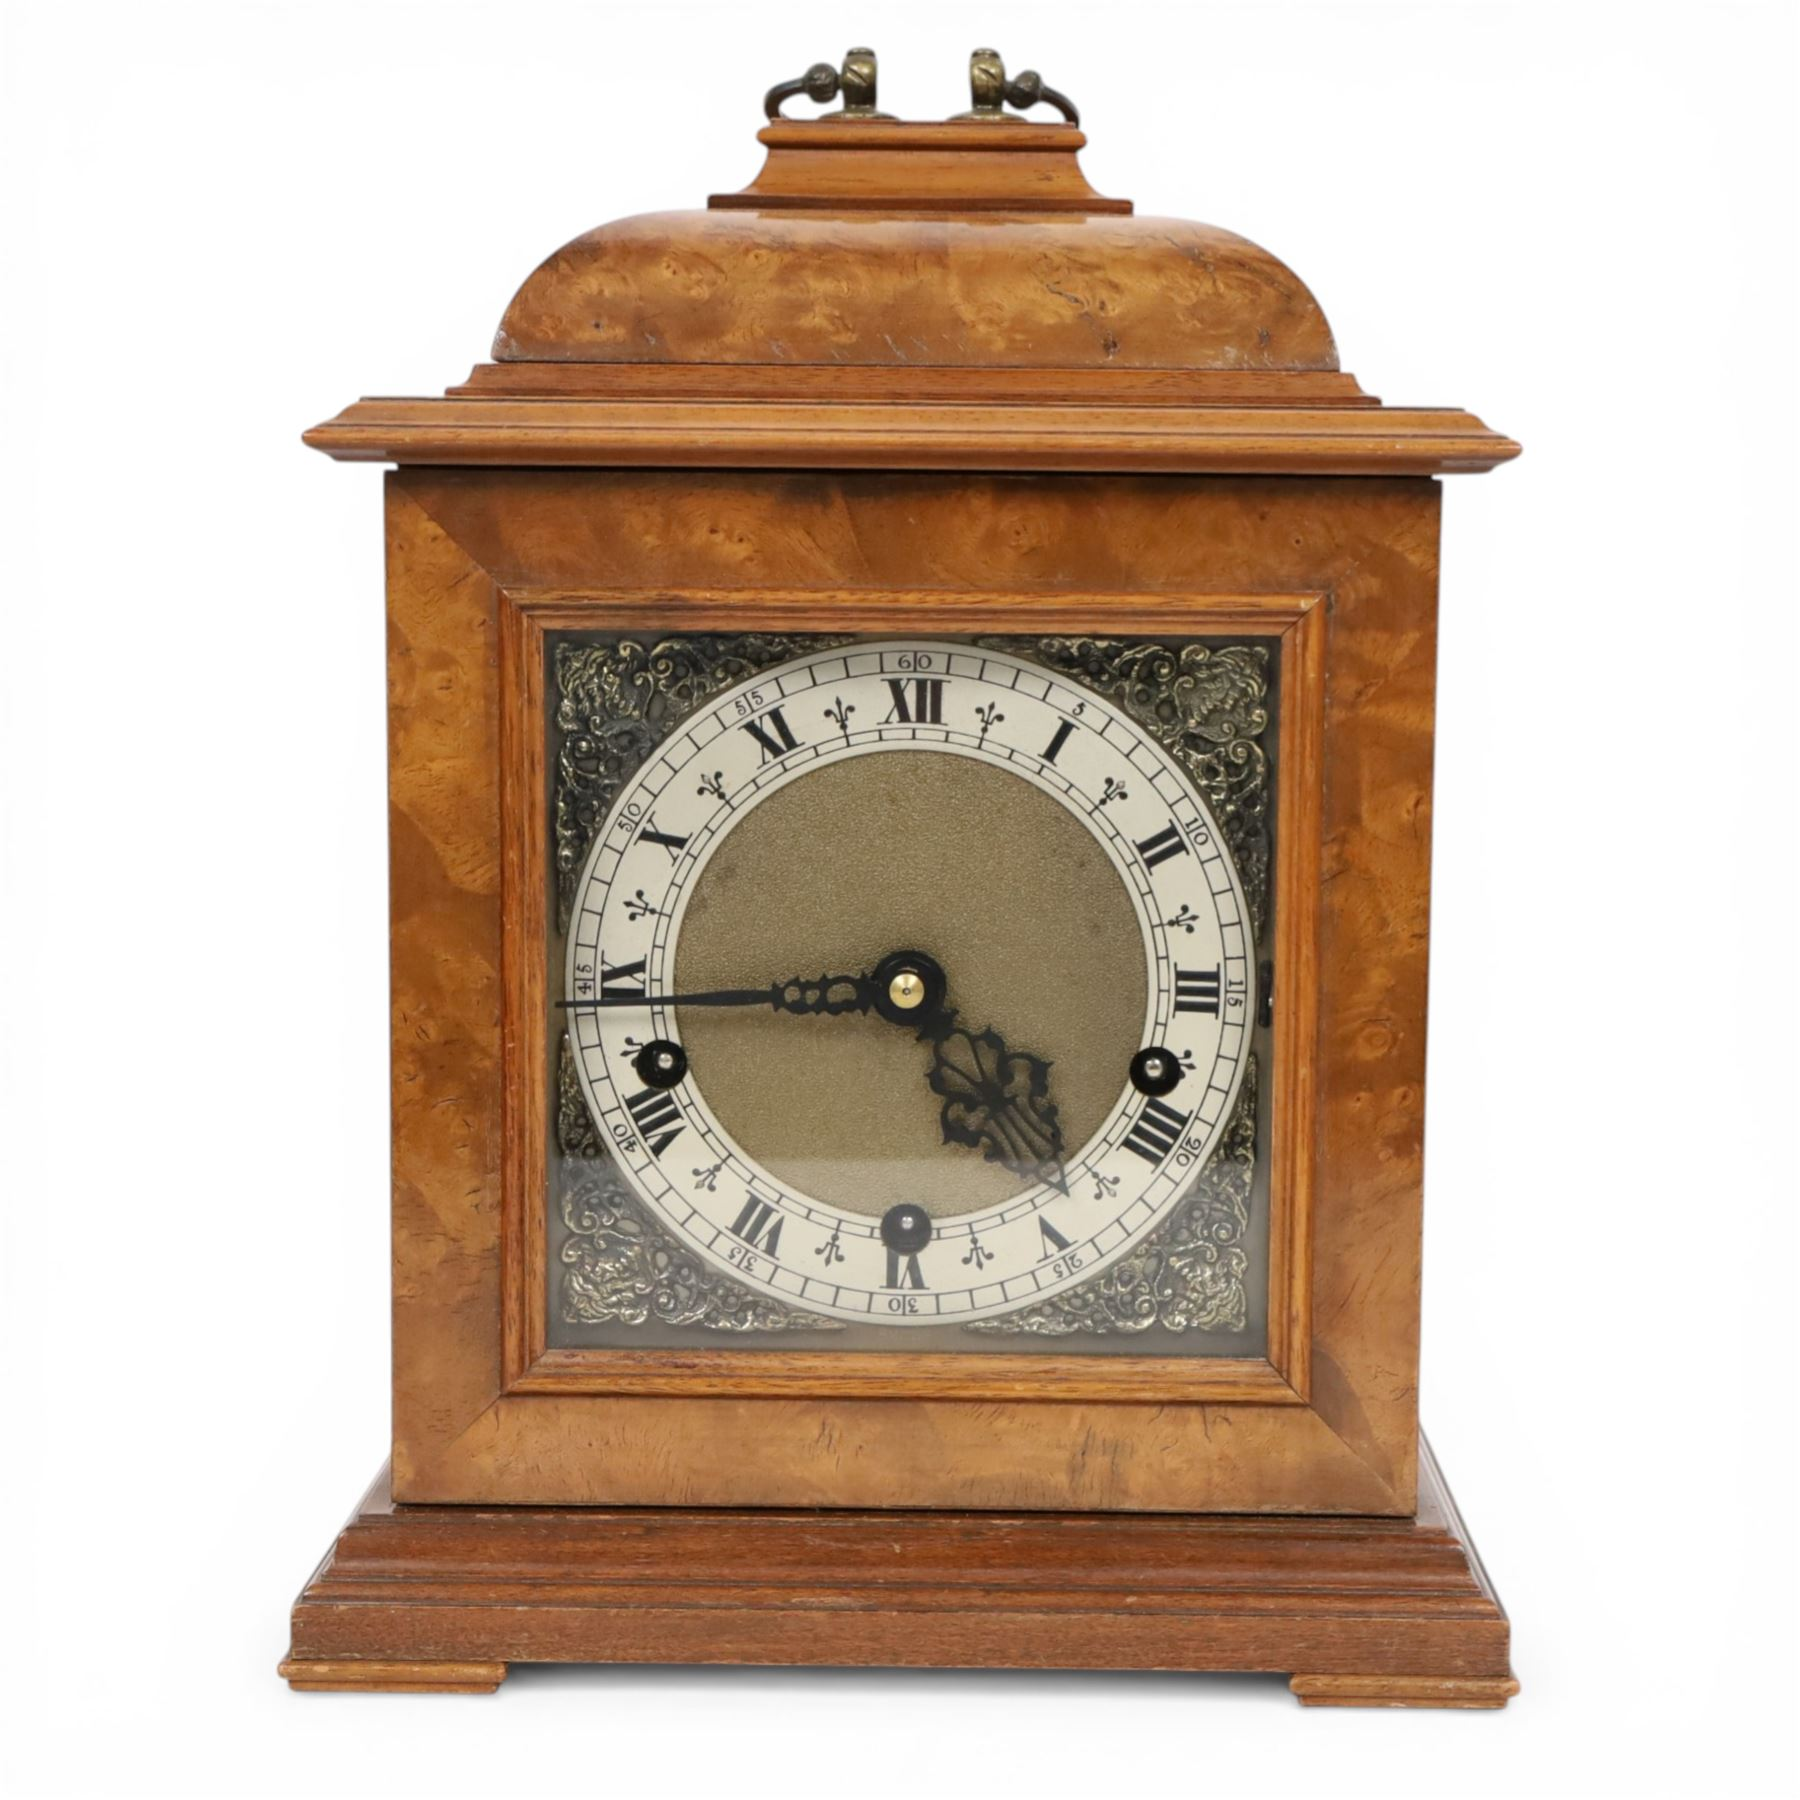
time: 4:43
